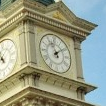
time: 11:09
